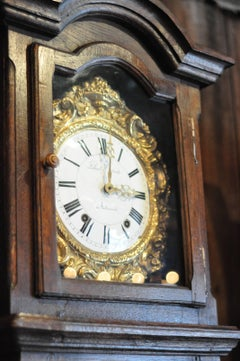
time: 3:01
